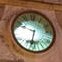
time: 9:32
